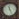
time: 11:25
